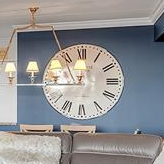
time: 8:54
